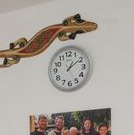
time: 1:09
